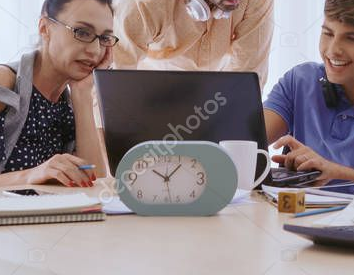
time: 10:07
